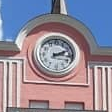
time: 2:16
